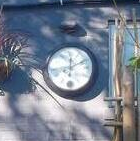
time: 12:10
